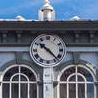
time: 10:22
